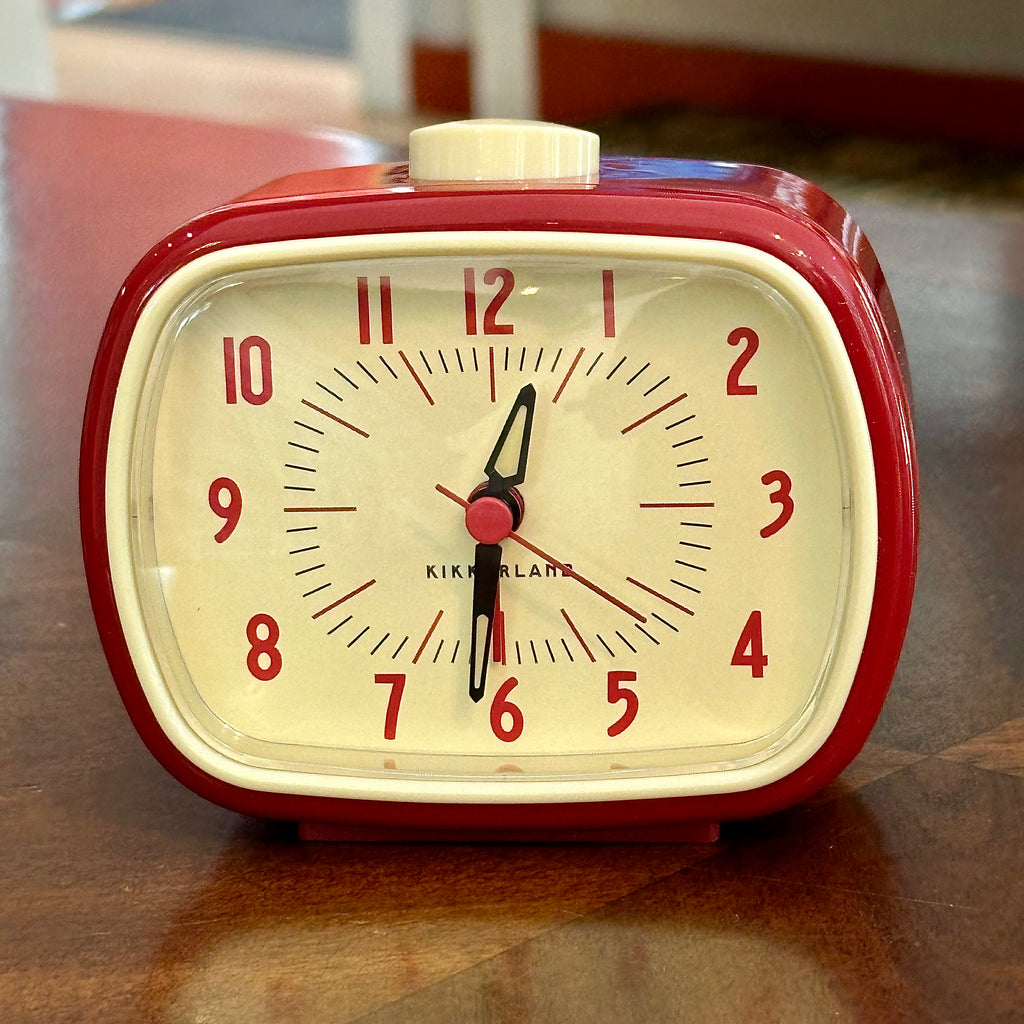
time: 12:31
